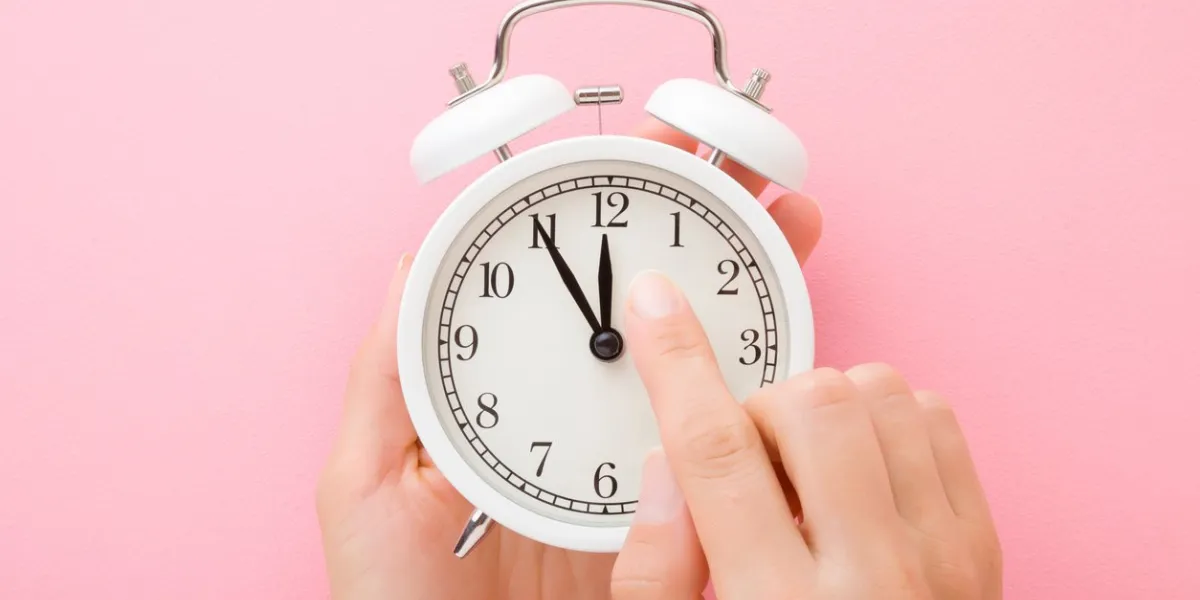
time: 11:55
